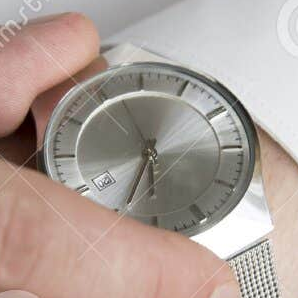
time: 6:35
